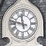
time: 11:46
